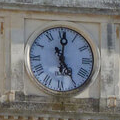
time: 5:00
